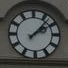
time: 2:07
